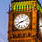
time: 8:11
